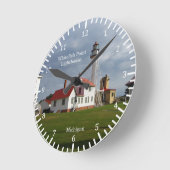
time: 10:07
